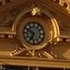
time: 6:49
